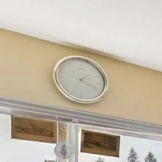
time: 1:18
